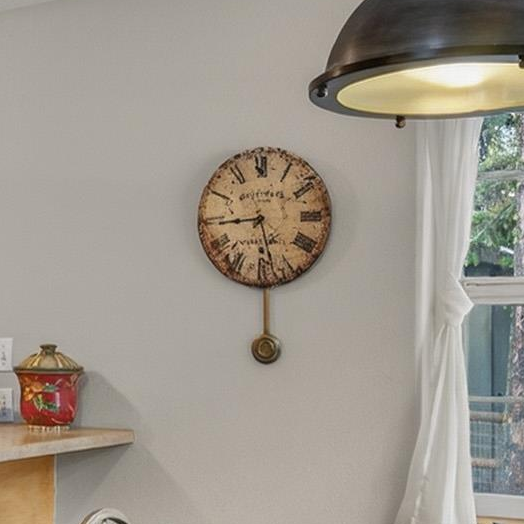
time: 5:44
